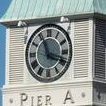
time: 11:18
